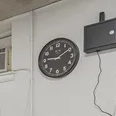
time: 9:09
